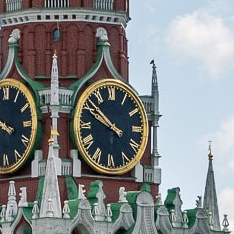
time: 9:51
